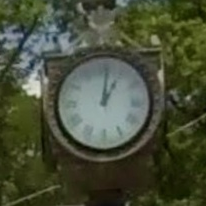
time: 1:01
